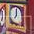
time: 6:59
